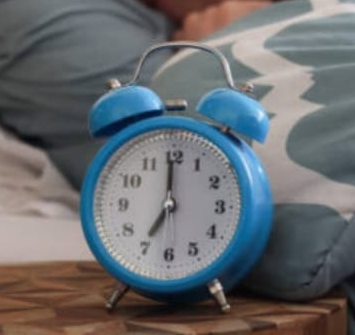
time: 7:00
